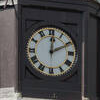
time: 12:10
